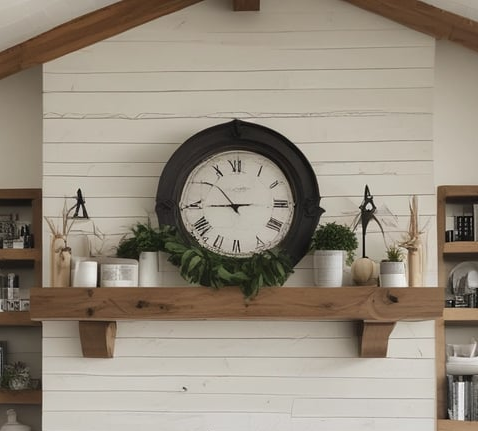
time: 10:44
